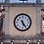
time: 11:24
